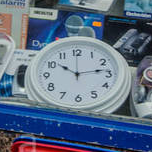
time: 10:13
